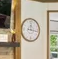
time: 12:16
